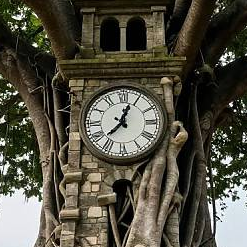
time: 12:37
